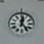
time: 12:23
